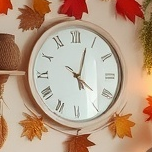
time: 5:03
